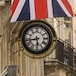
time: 5:43
